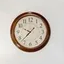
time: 9:37
